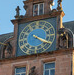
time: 4:19
